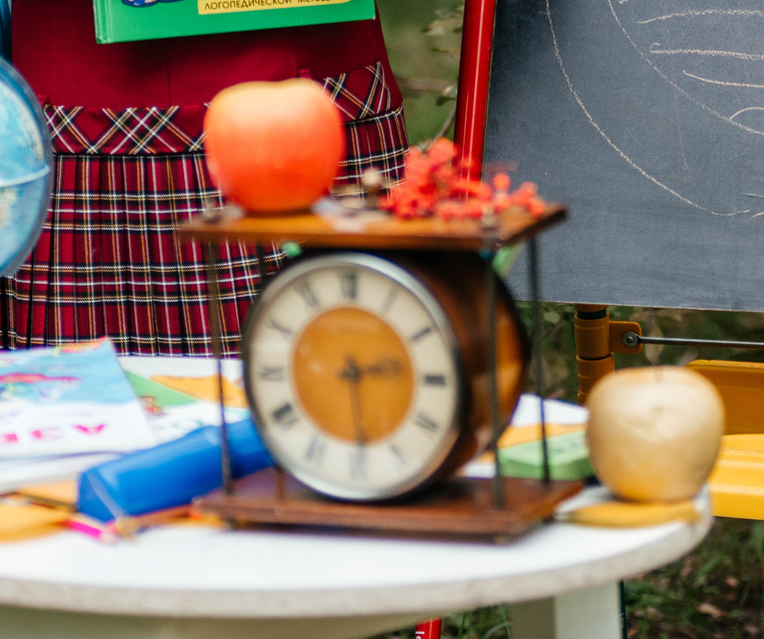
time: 2:29
